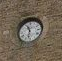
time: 11:32
